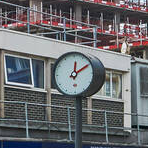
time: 12:09
